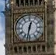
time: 12:32
